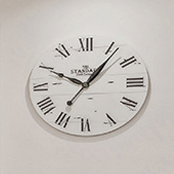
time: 10:06
